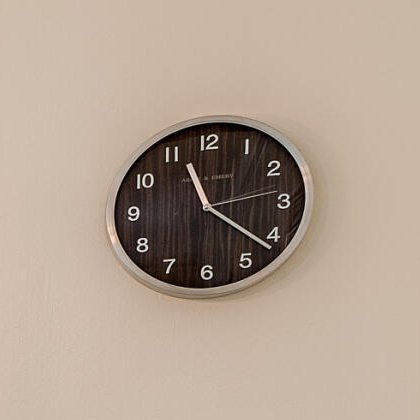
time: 11:21
